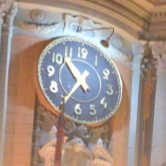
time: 10:34
